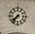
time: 7:37
